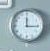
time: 12:14
